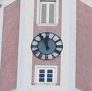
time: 11:55
